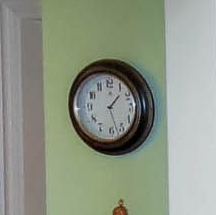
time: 1:27
